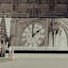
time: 1:59
